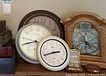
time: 2:42
